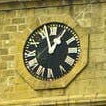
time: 12:57
